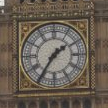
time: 1:35
